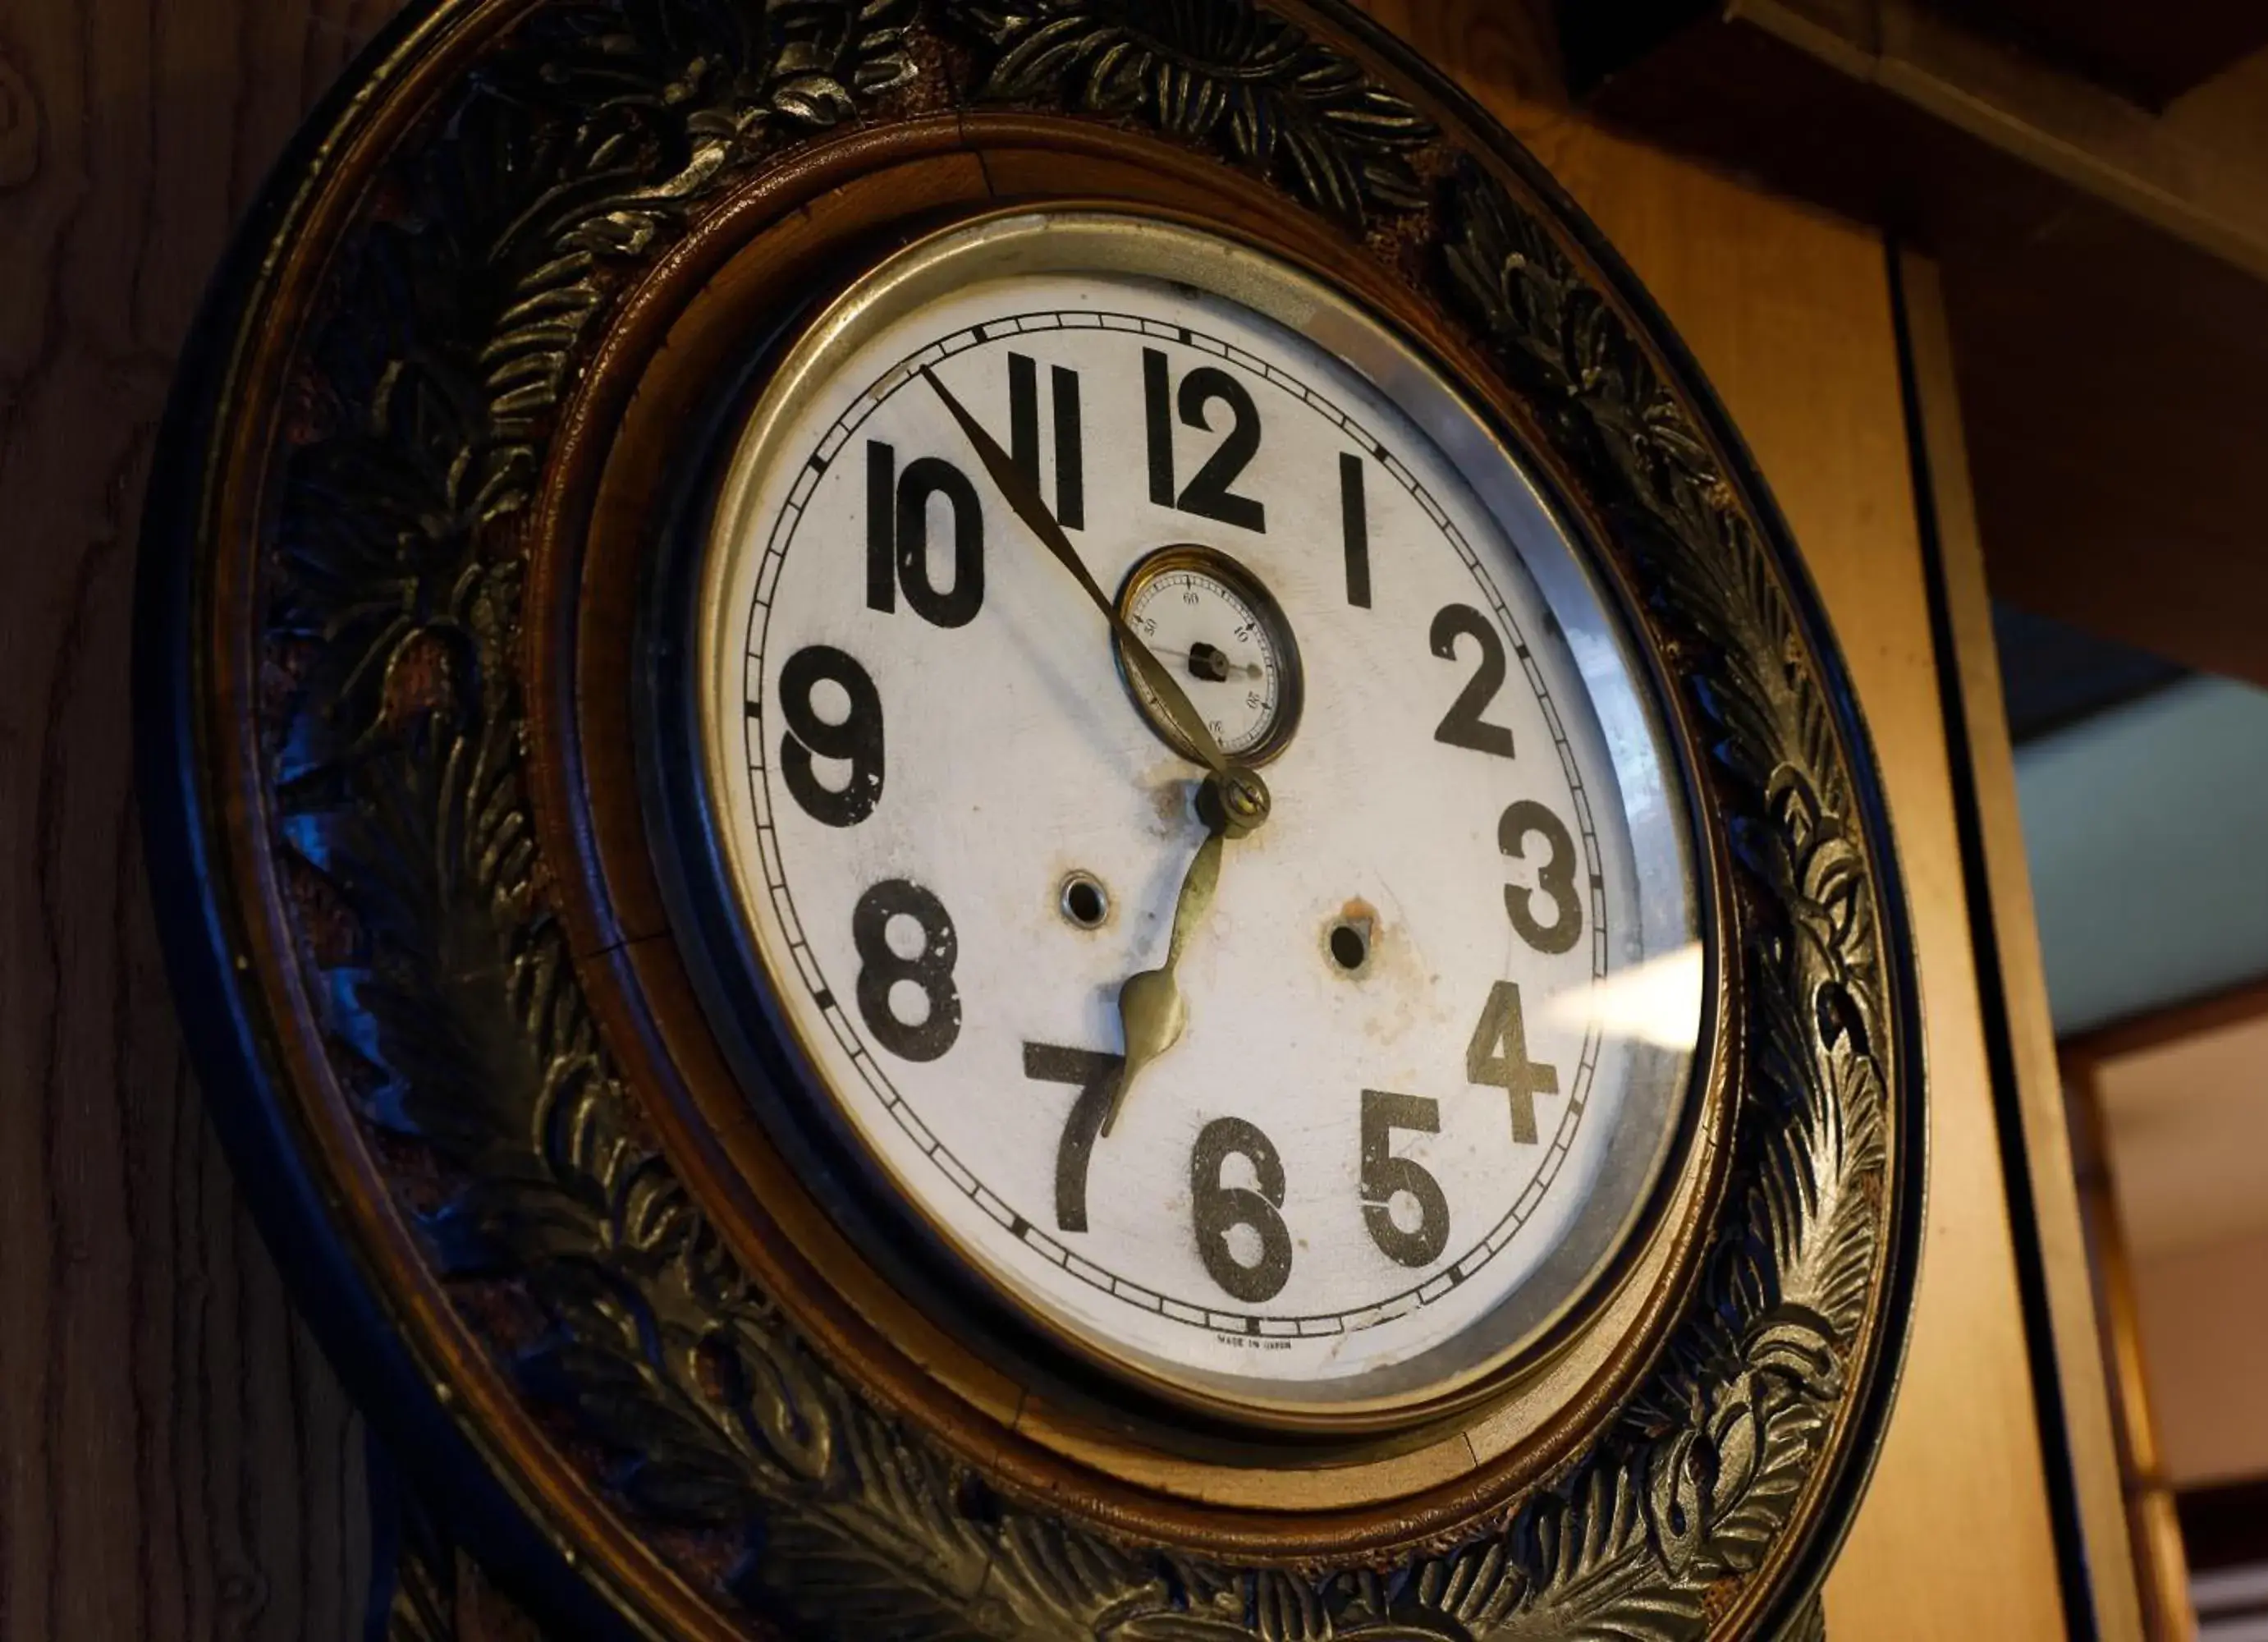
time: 10:34
